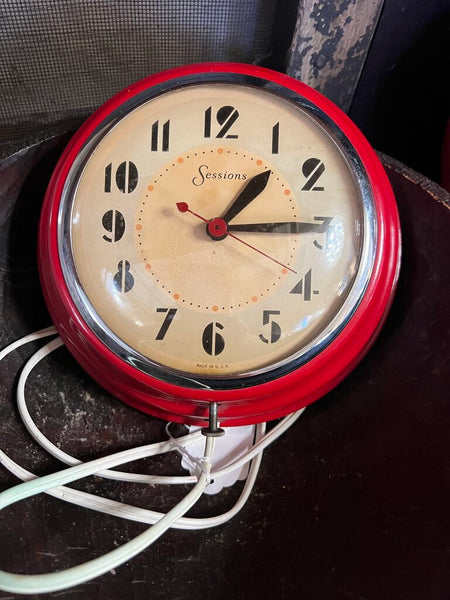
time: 1:14
